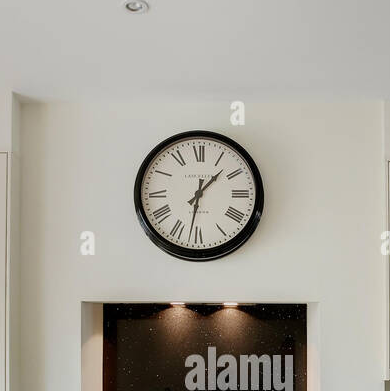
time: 1:31
